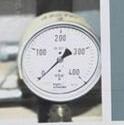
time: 1:37
